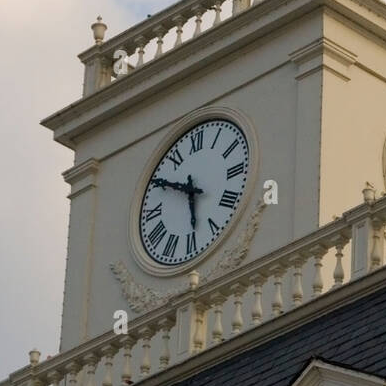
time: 5:50
